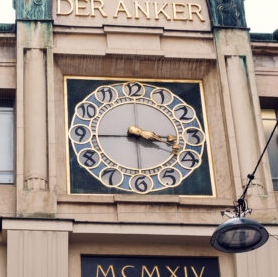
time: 3:18
